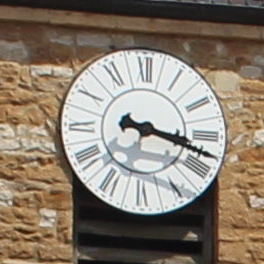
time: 3:17
